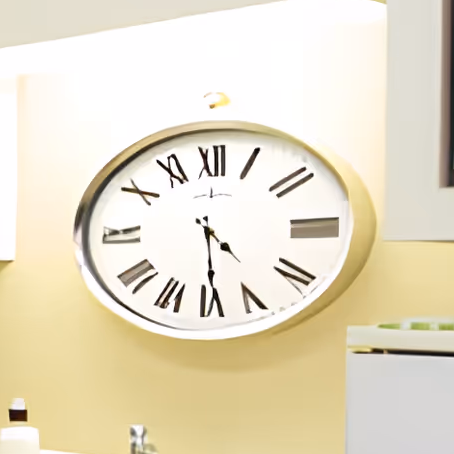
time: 4:29
